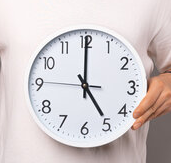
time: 5:00
